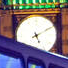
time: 5:09
